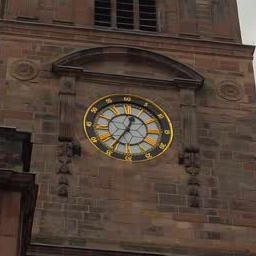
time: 12:35
